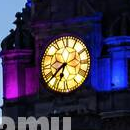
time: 6:38
